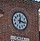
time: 12:16
